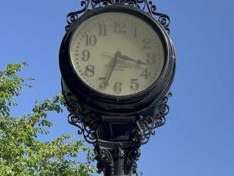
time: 3:33
